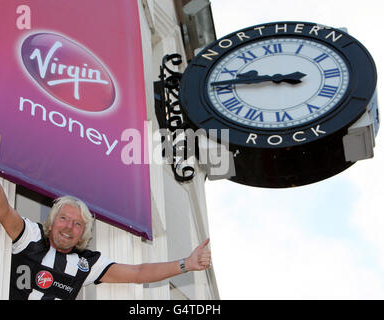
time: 9:45
